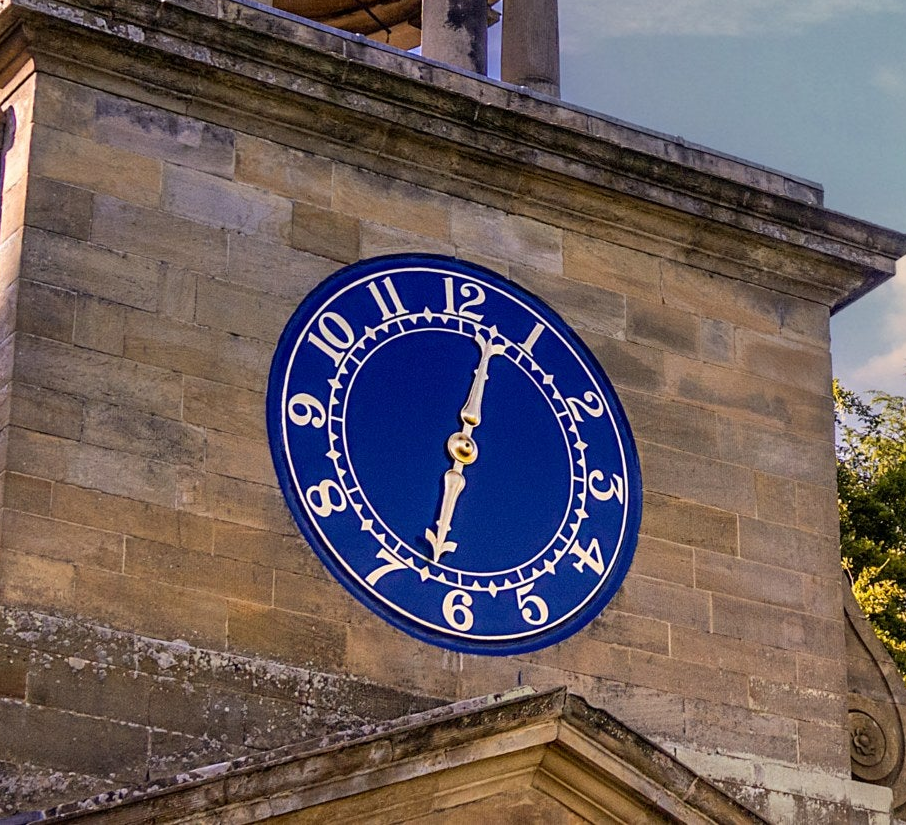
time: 12:32
